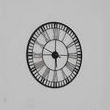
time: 5:45
